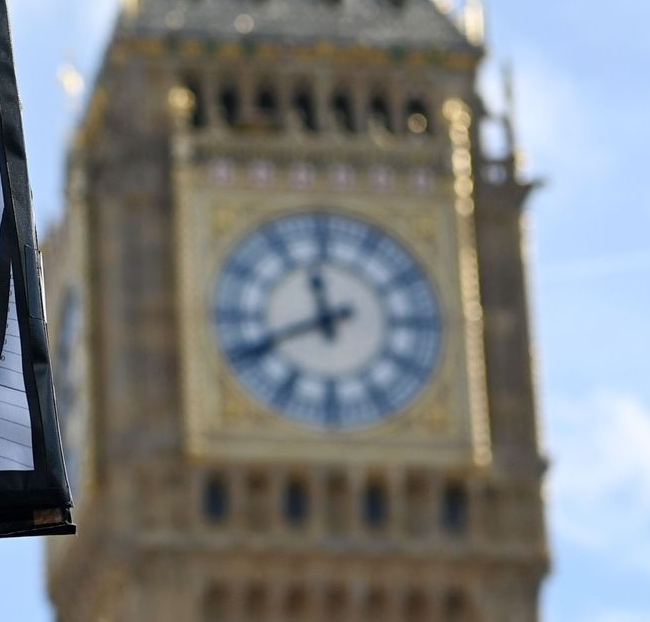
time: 11:40
